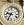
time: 9:36
